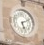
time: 5:11
